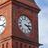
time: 3:22
